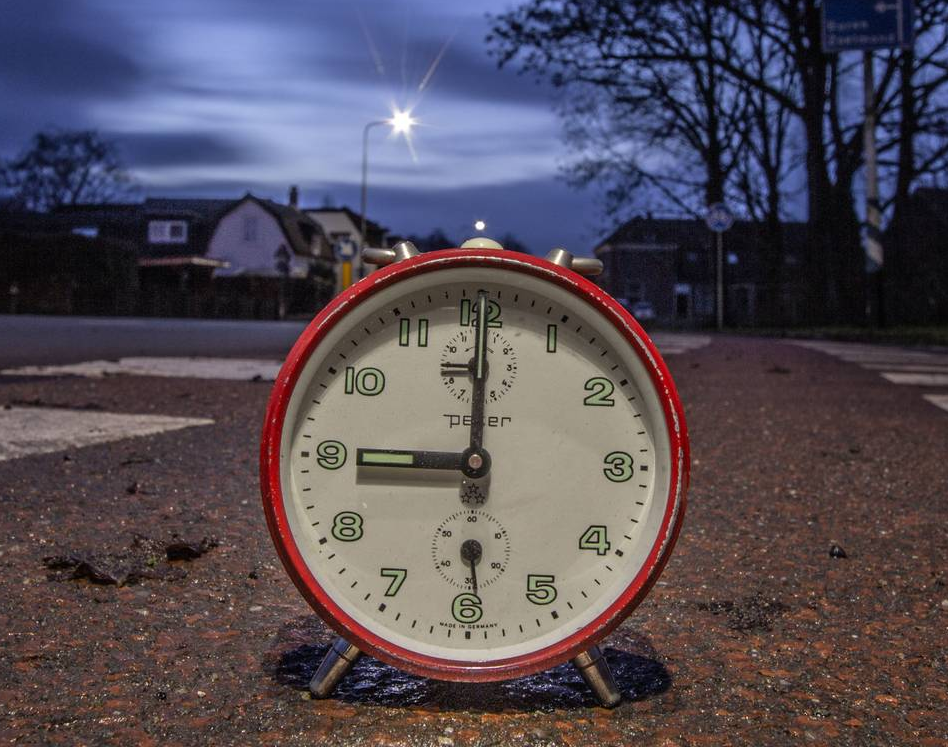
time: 9:00
